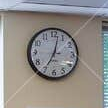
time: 7:02
